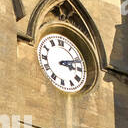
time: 3:12
